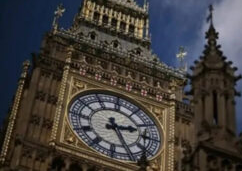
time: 2:25
